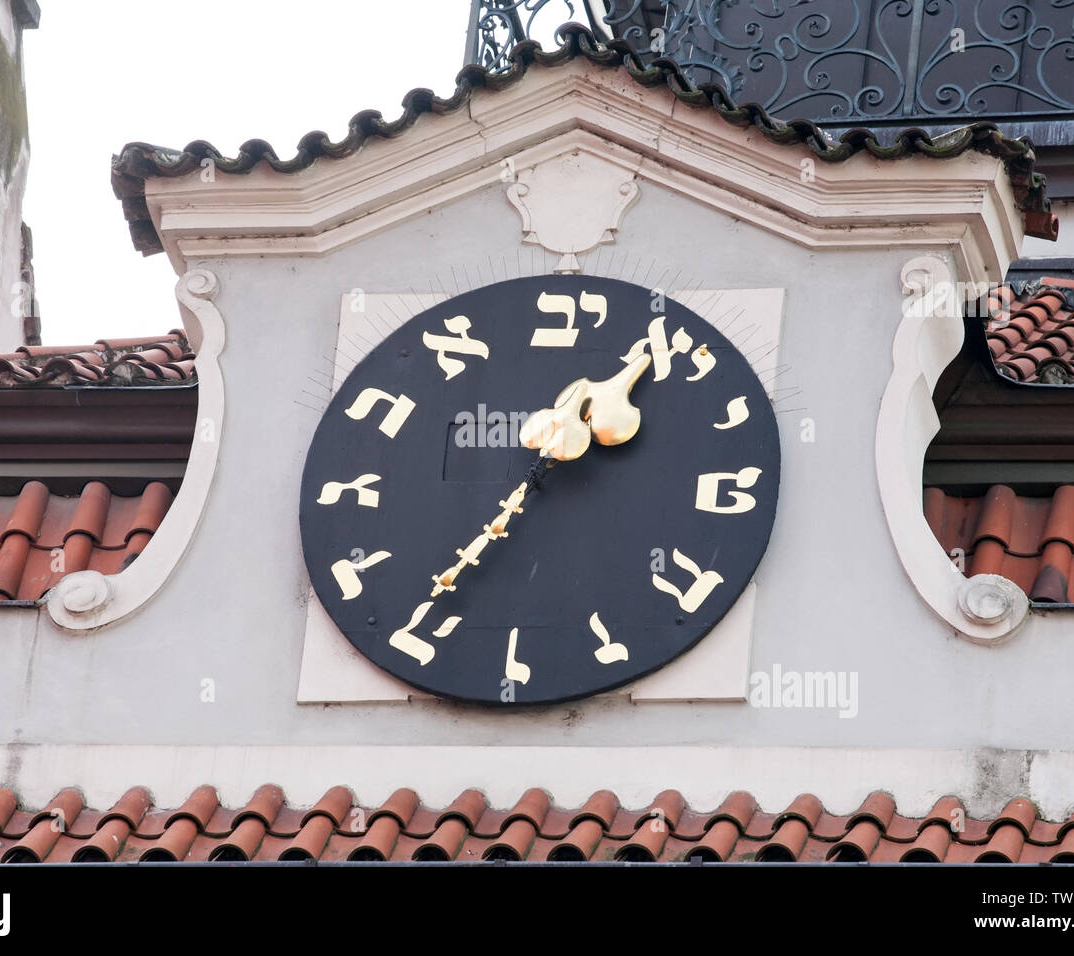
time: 1:36
